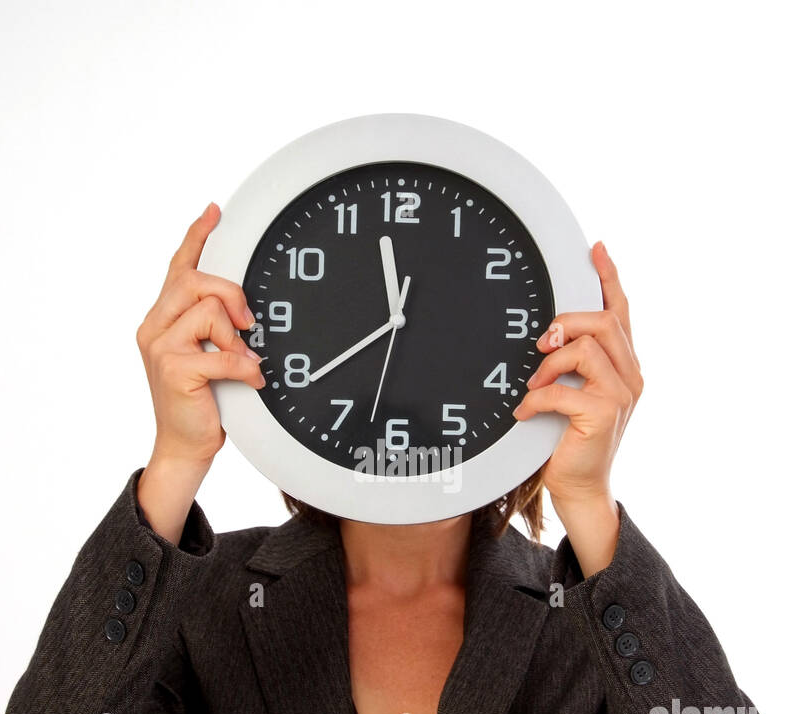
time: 11:38
